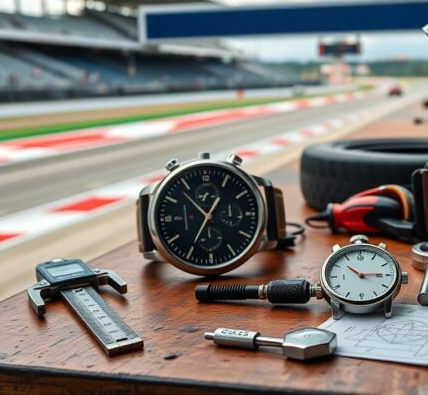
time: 10:35
